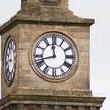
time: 11:42
